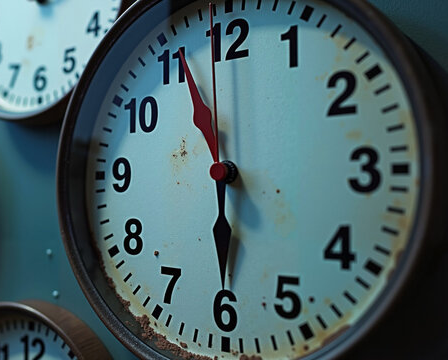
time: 5:55
